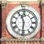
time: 11:31
